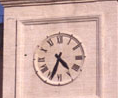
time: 4:33
